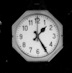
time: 1:24
